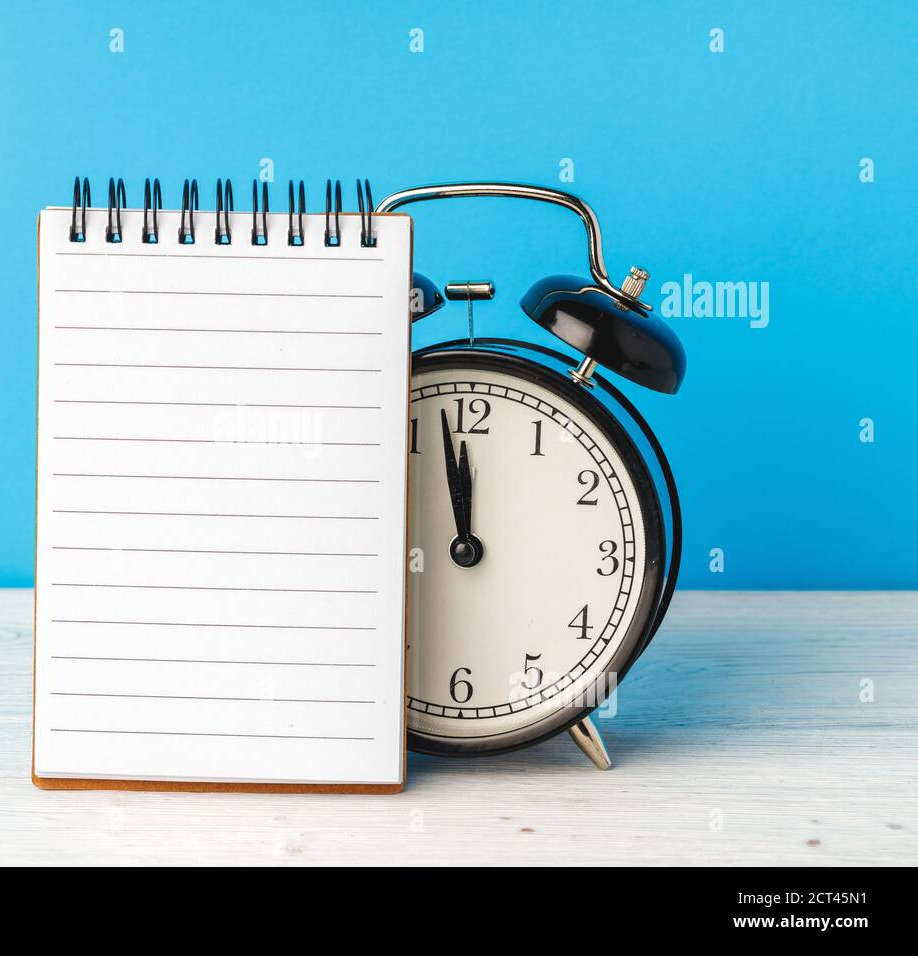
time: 11:58
